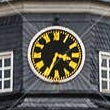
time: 3:34
